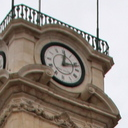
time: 12:11
